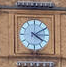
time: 4:09
